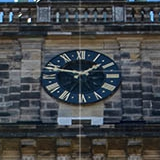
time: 1:47
